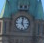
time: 5:01
